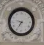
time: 9:34
